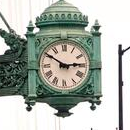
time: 2:50
